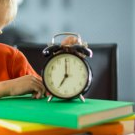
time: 7:00
